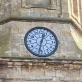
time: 12:32
